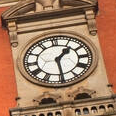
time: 1:29
